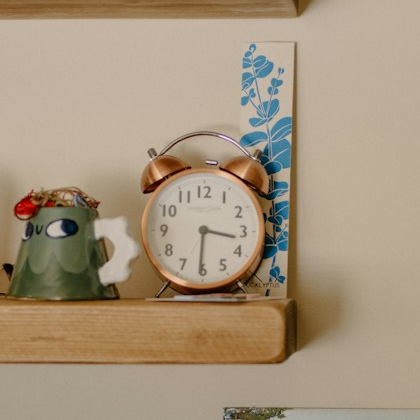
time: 3:30
